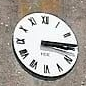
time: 3:14
